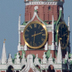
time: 2:31
